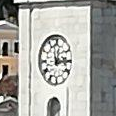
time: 12:13
